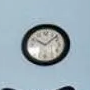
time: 10:07
